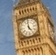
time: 4:59
